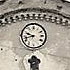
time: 9:42
